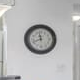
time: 11:41
